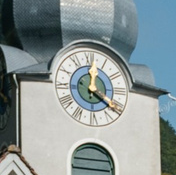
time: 12:21
